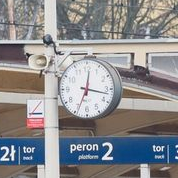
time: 12:16
